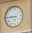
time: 8:45
